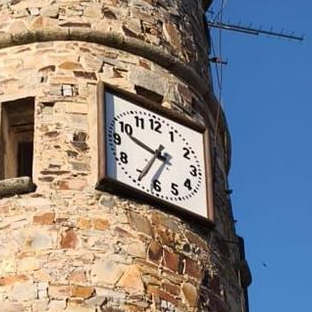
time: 9:34
